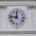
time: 11:46
